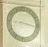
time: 9:16
